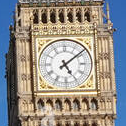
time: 5:08
